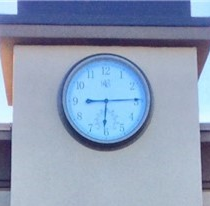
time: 6:14
